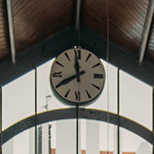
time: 11:40
